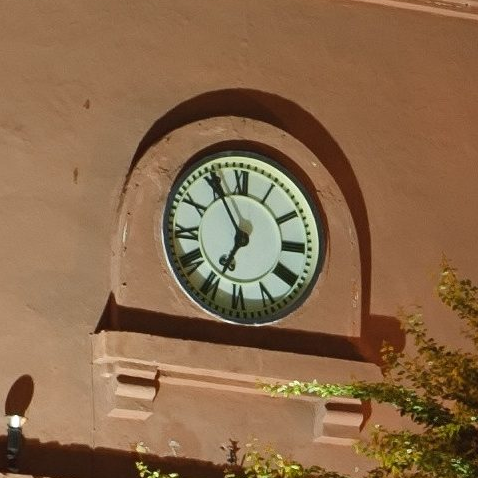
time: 6:55
